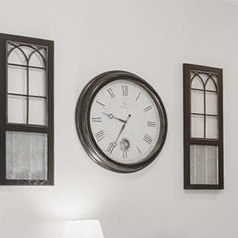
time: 9:34
